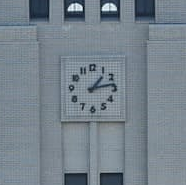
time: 1:13
